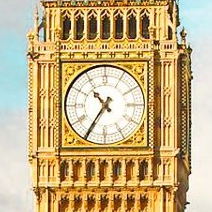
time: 10:35
